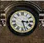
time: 3:27
